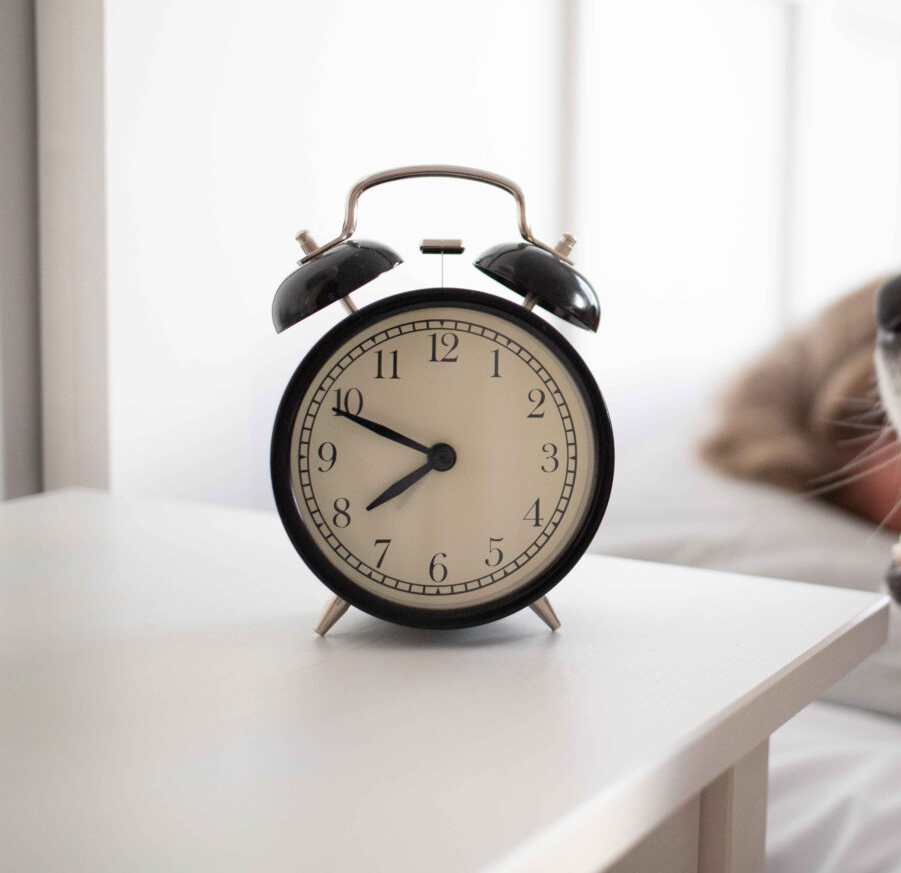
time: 7:49
